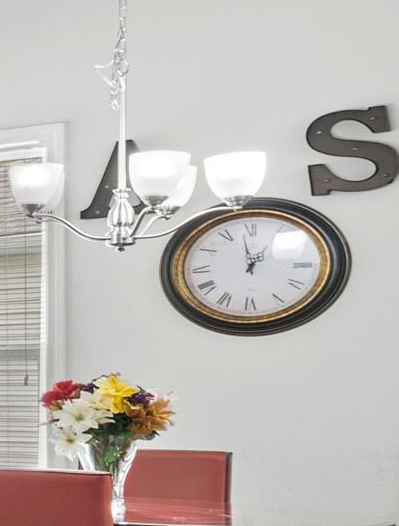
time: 12:58
